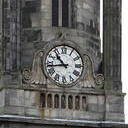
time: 10:43
